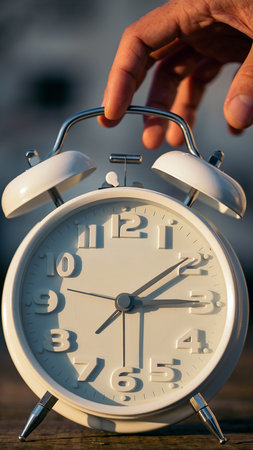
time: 3:09
